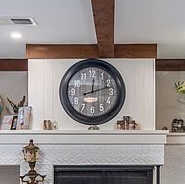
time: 12:12
